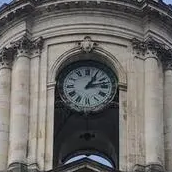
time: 1:12
